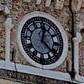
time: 12:22
